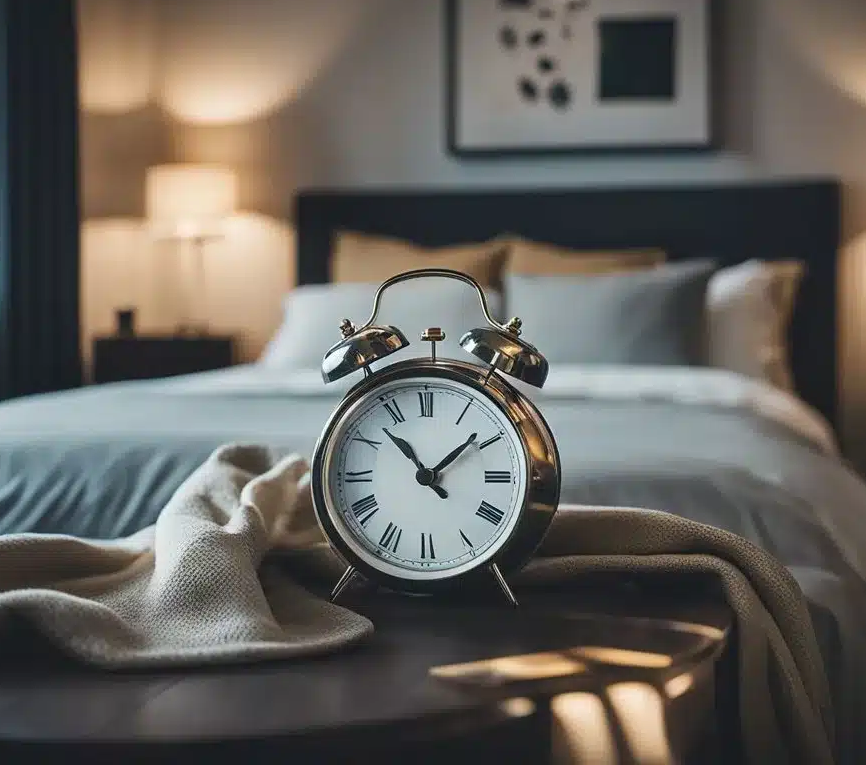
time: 1:52
